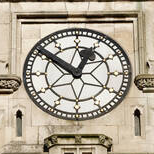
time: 12:51
